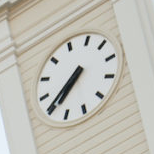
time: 6:35
